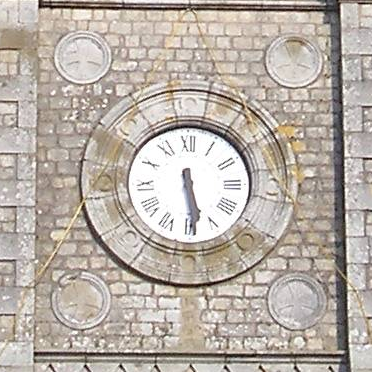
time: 5:28
